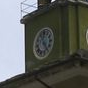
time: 11:24
